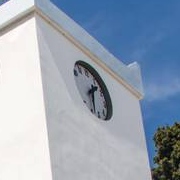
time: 1:32
